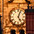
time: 5:03
